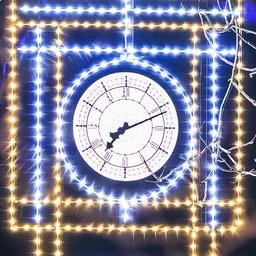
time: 7:11
